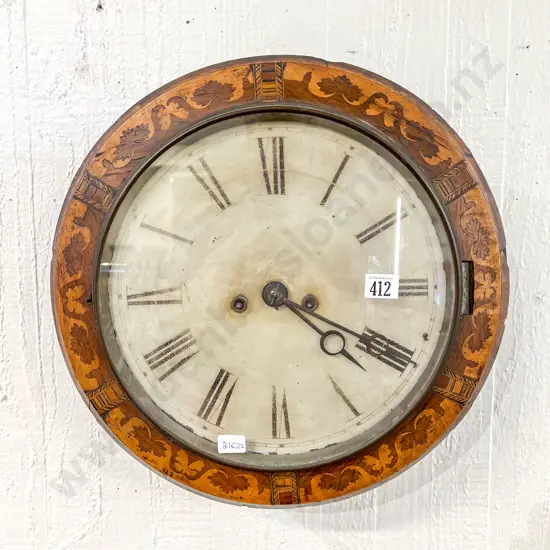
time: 4:19
